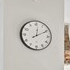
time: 12:10
